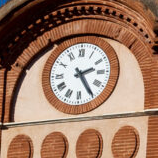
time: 2:24
